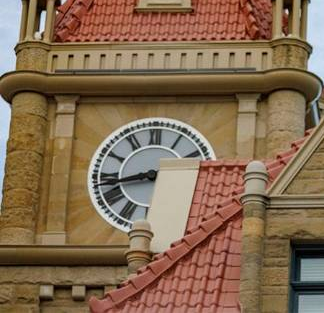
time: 8:42
